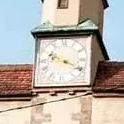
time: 3:48
